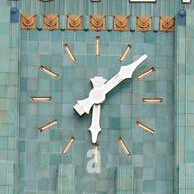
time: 6:08
